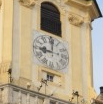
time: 9:01
